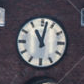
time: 11:02
